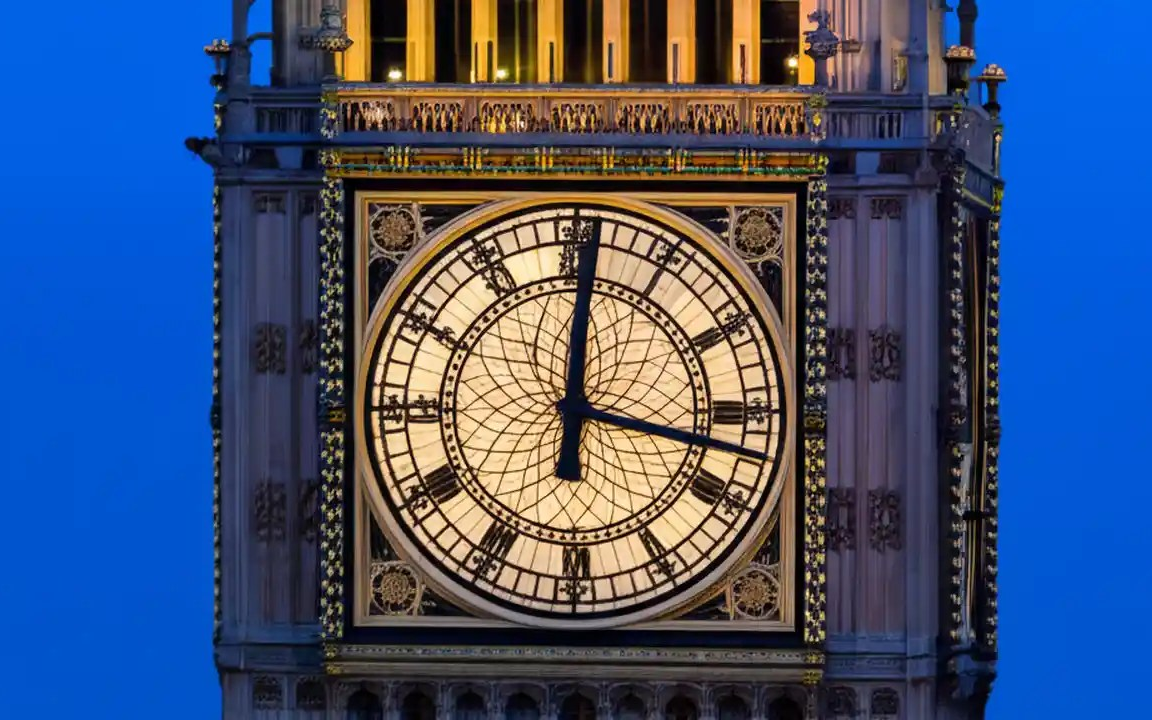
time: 12:16
